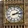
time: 2:13
